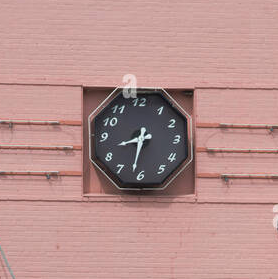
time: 8:32
